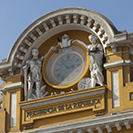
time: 2:53
